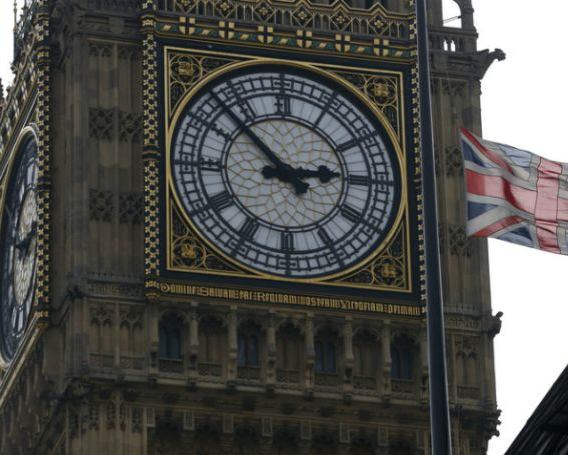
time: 2:52
